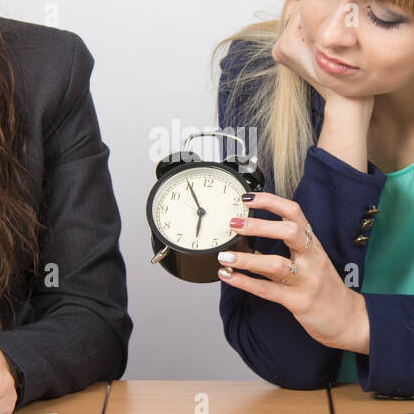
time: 5:55
